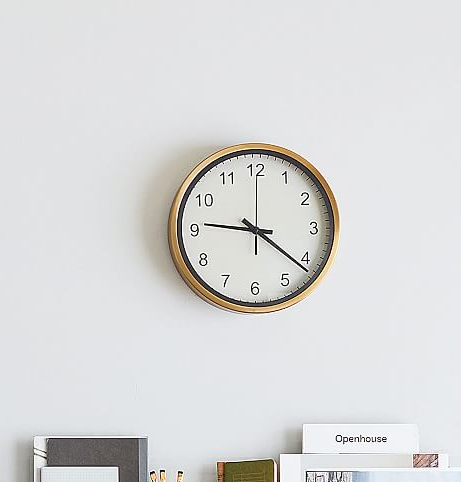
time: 9:21
